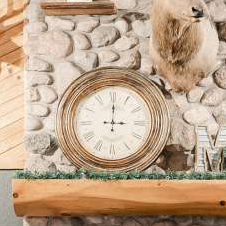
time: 3:00
